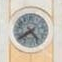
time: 4:38
